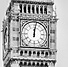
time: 12:01
